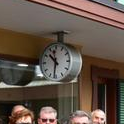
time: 10:31
